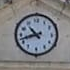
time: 10:42
